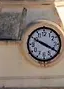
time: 3:49
